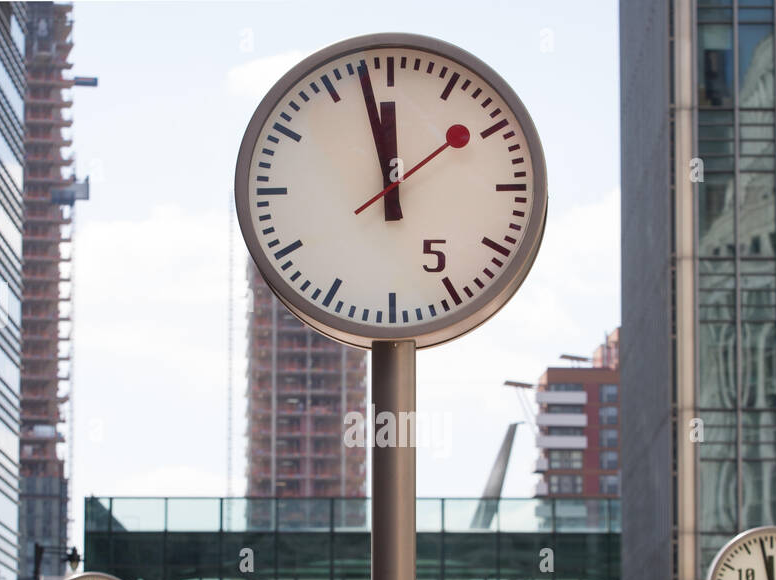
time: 11:57
